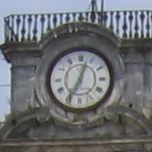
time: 12:34
